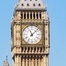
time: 11:07
